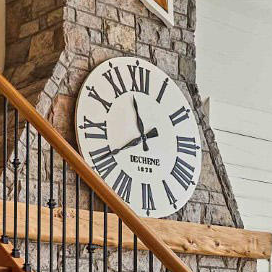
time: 11:40
